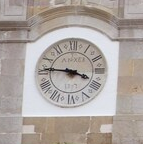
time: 3:45
